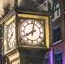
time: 8:01
